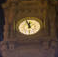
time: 11:56
